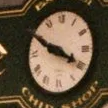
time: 3:49
